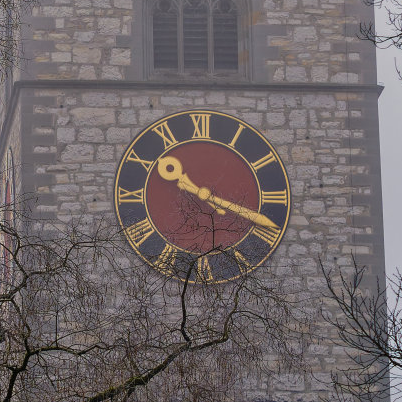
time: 10:18
